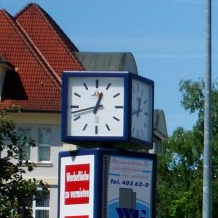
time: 12:42
